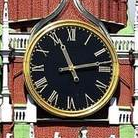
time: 11:13
